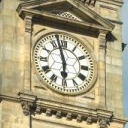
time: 5:57
